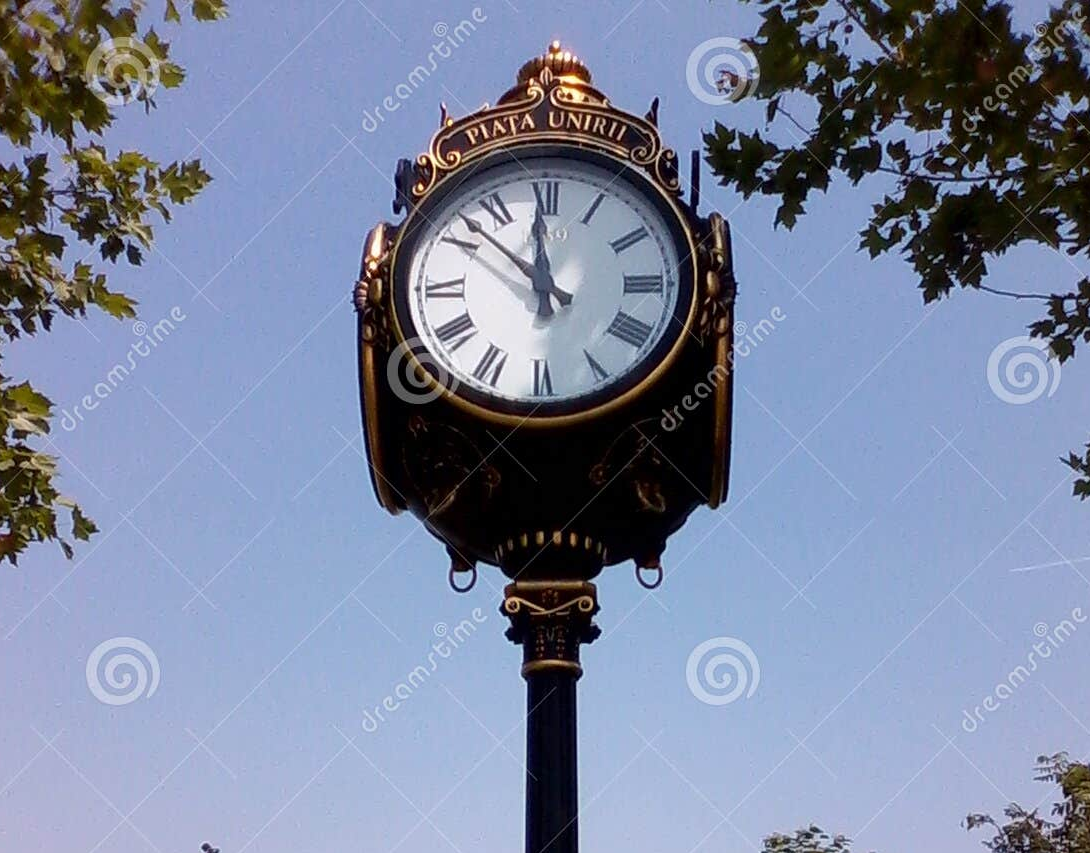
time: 11:51
